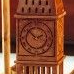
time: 1:52
